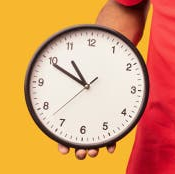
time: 10:49
